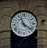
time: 11:21
